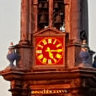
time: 5:15
